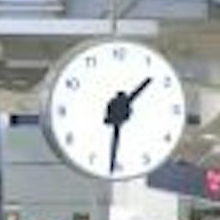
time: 1:31
